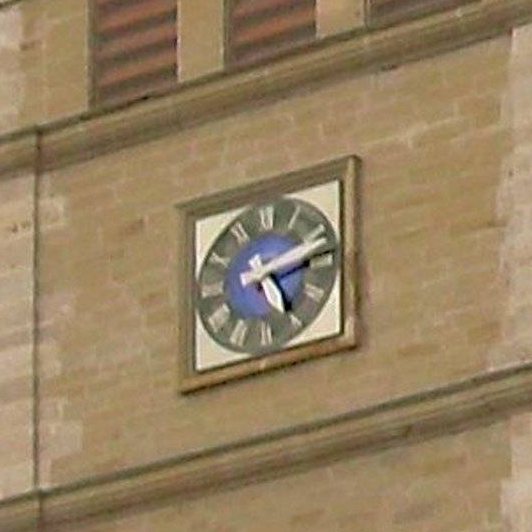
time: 5:13
